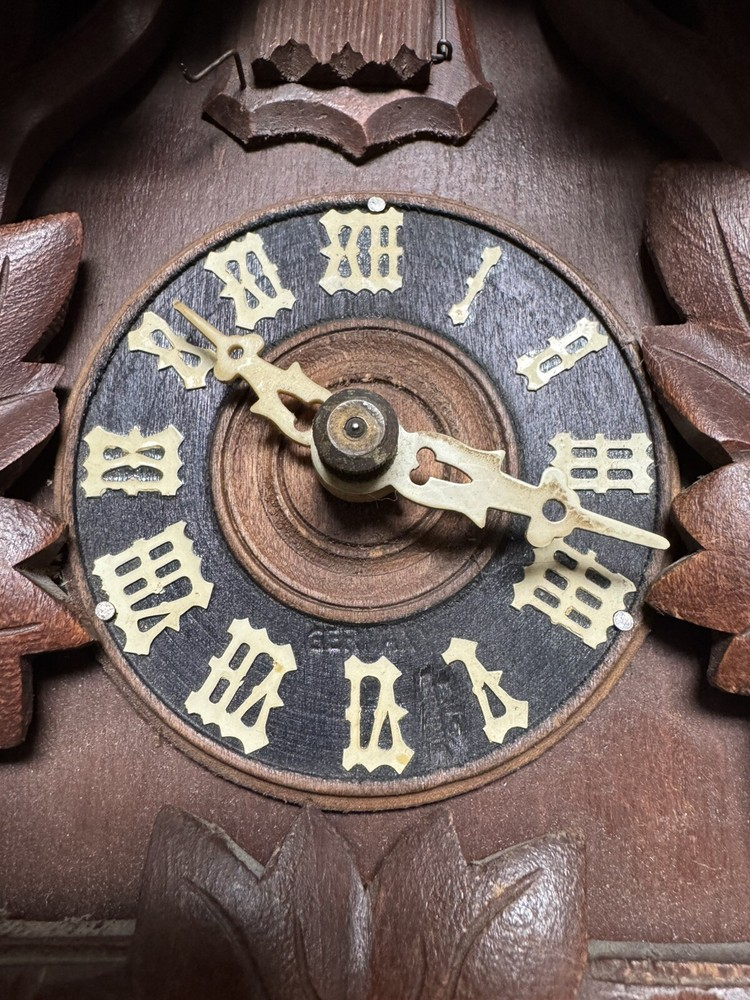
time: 10:17
